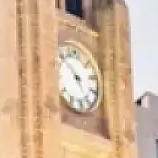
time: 4:52
